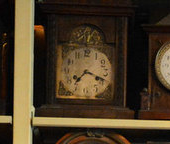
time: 7:18
